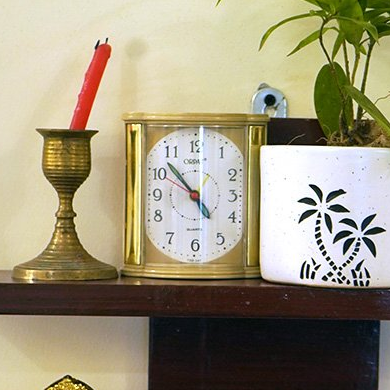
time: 4:52
